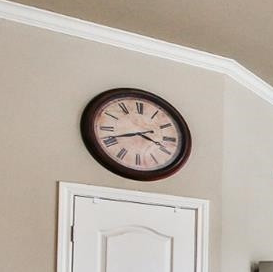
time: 3:41
